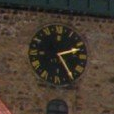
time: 2:24
